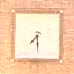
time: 7:29
